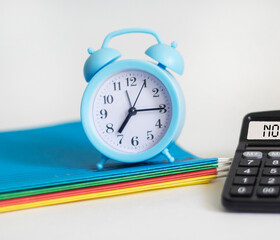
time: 7:15
